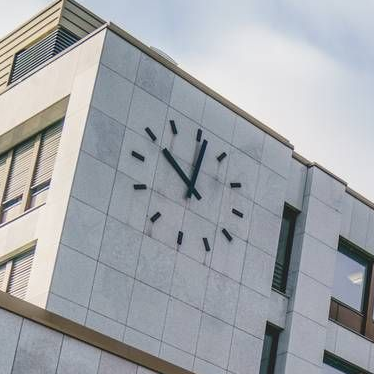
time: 10:01
